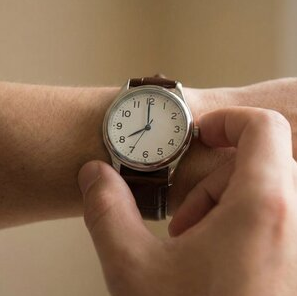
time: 7:59
